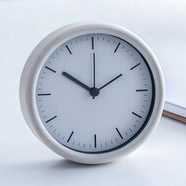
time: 1:50
